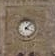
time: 4:07
